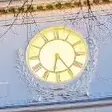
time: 6:24
